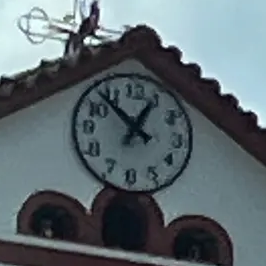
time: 12:52
